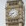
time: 8:38
